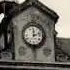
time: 12:12
